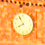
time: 7:55
